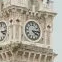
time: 4:14
